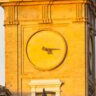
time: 4:14
